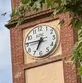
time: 6:45
